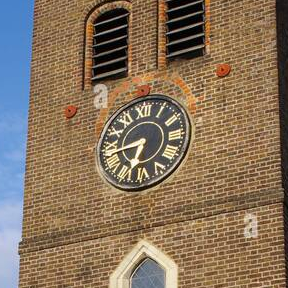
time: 6:43
